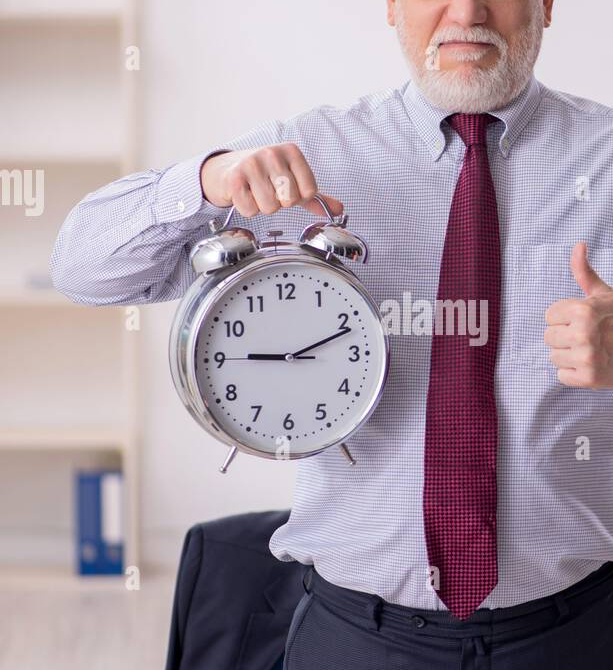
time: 9:11
